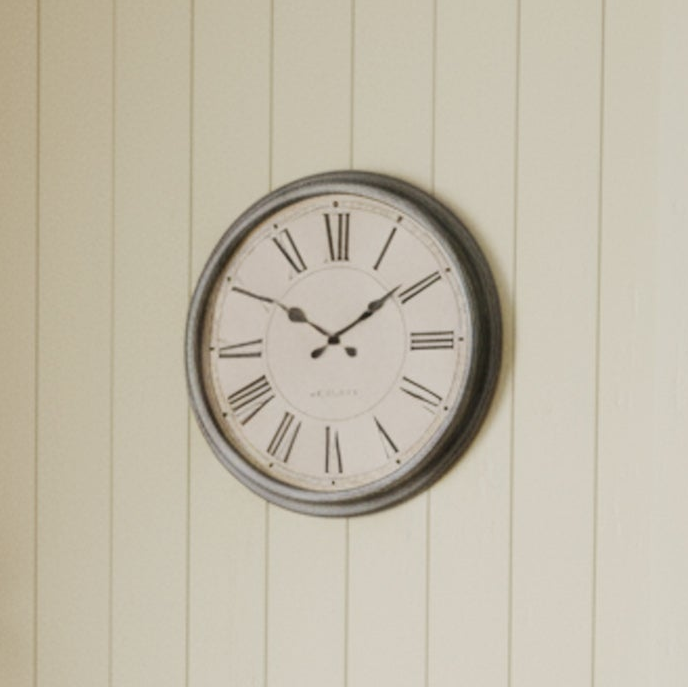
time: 1:50
